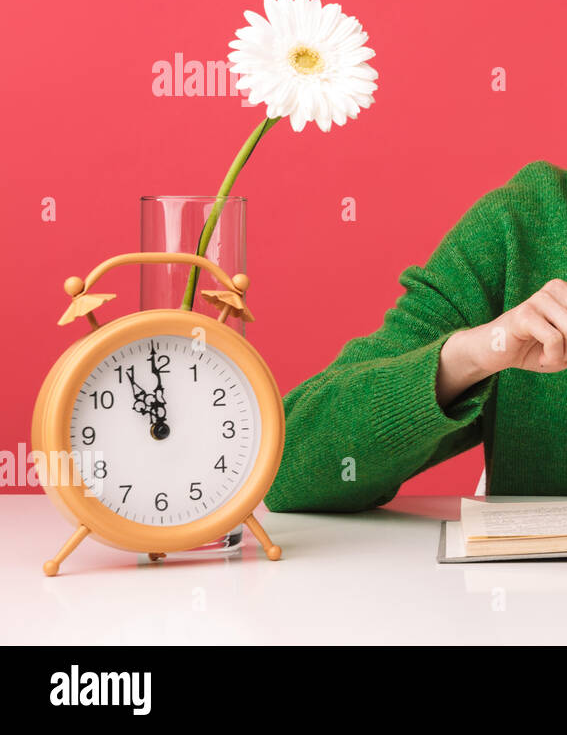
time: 10:59
